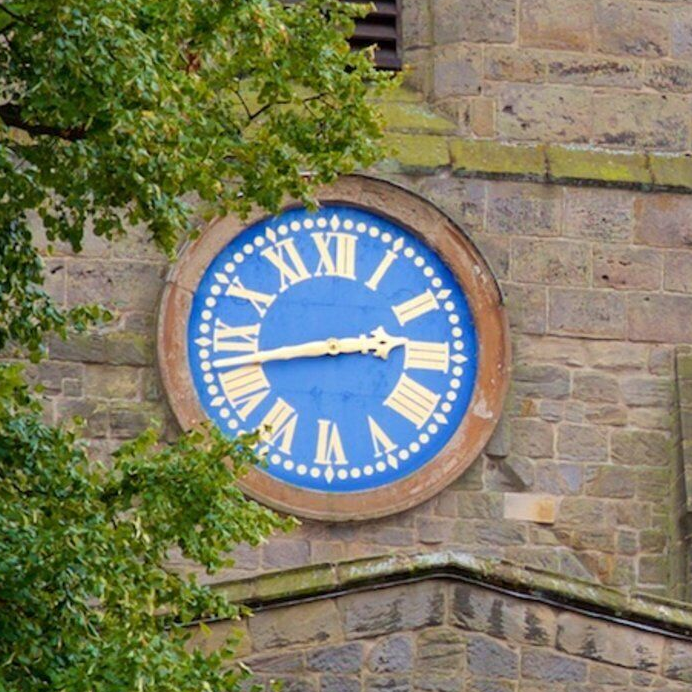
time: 2:42
